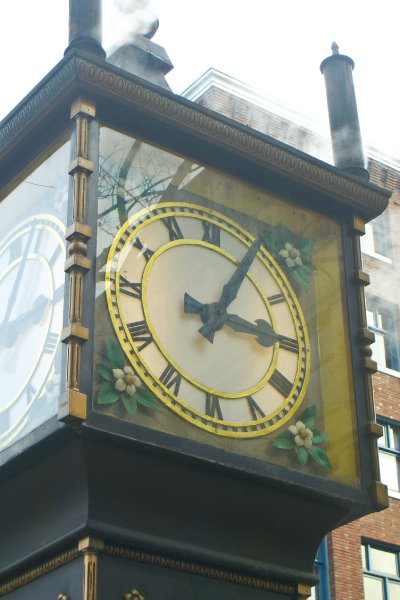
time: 3:04
